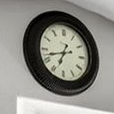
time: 6:42
